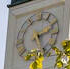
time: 2:26
